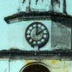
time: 2:00
